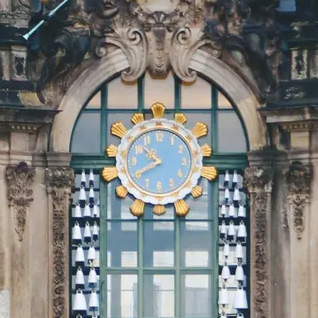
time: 10:40
